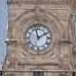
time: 1:57
